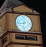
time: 8:32
